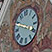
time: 3:48
